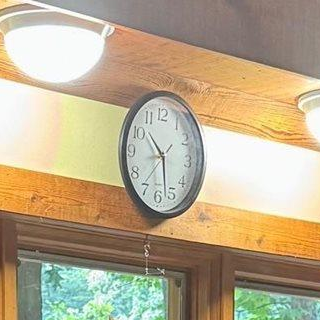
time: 10:27
